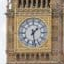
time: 1:28
